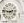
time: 2:46
